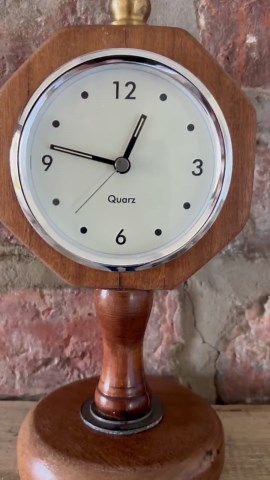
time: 12:47
